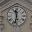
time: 11:32
